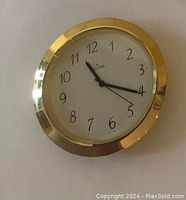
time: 11:20
